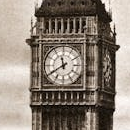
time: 11:39
